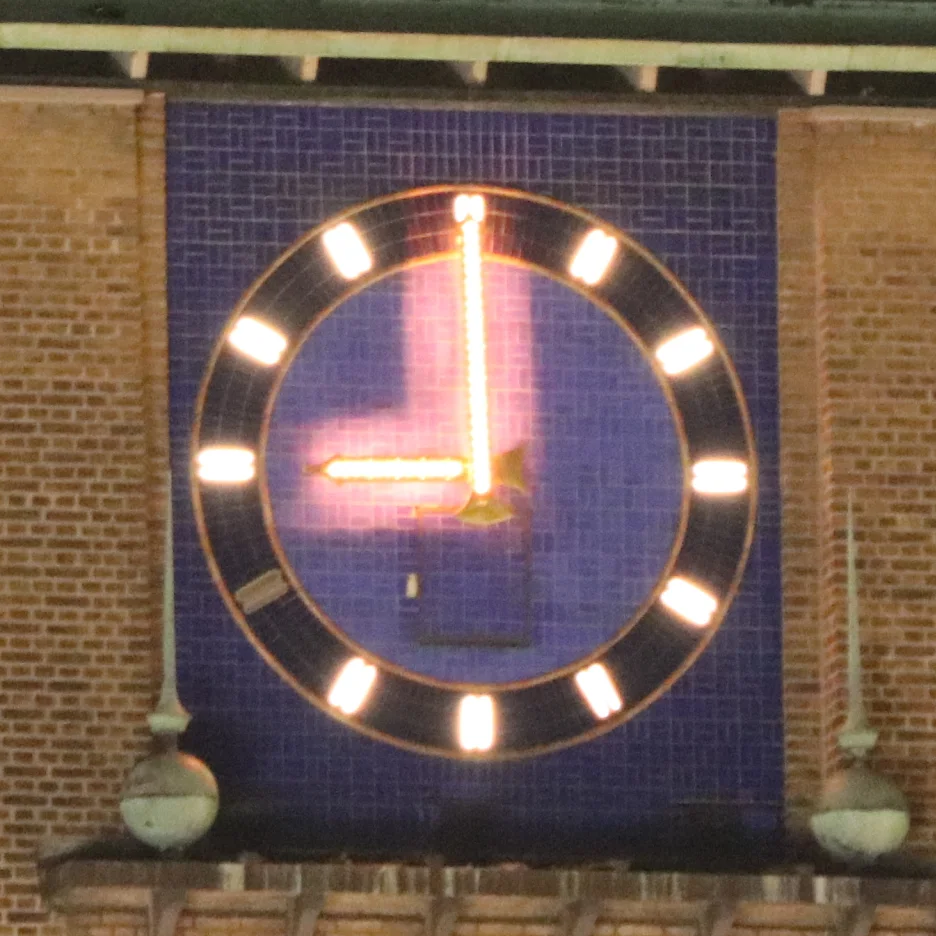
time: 8:59
